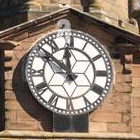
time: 11:52
